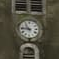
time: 10:46
